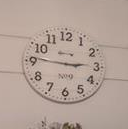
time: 2:46
